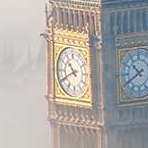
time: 10:40
